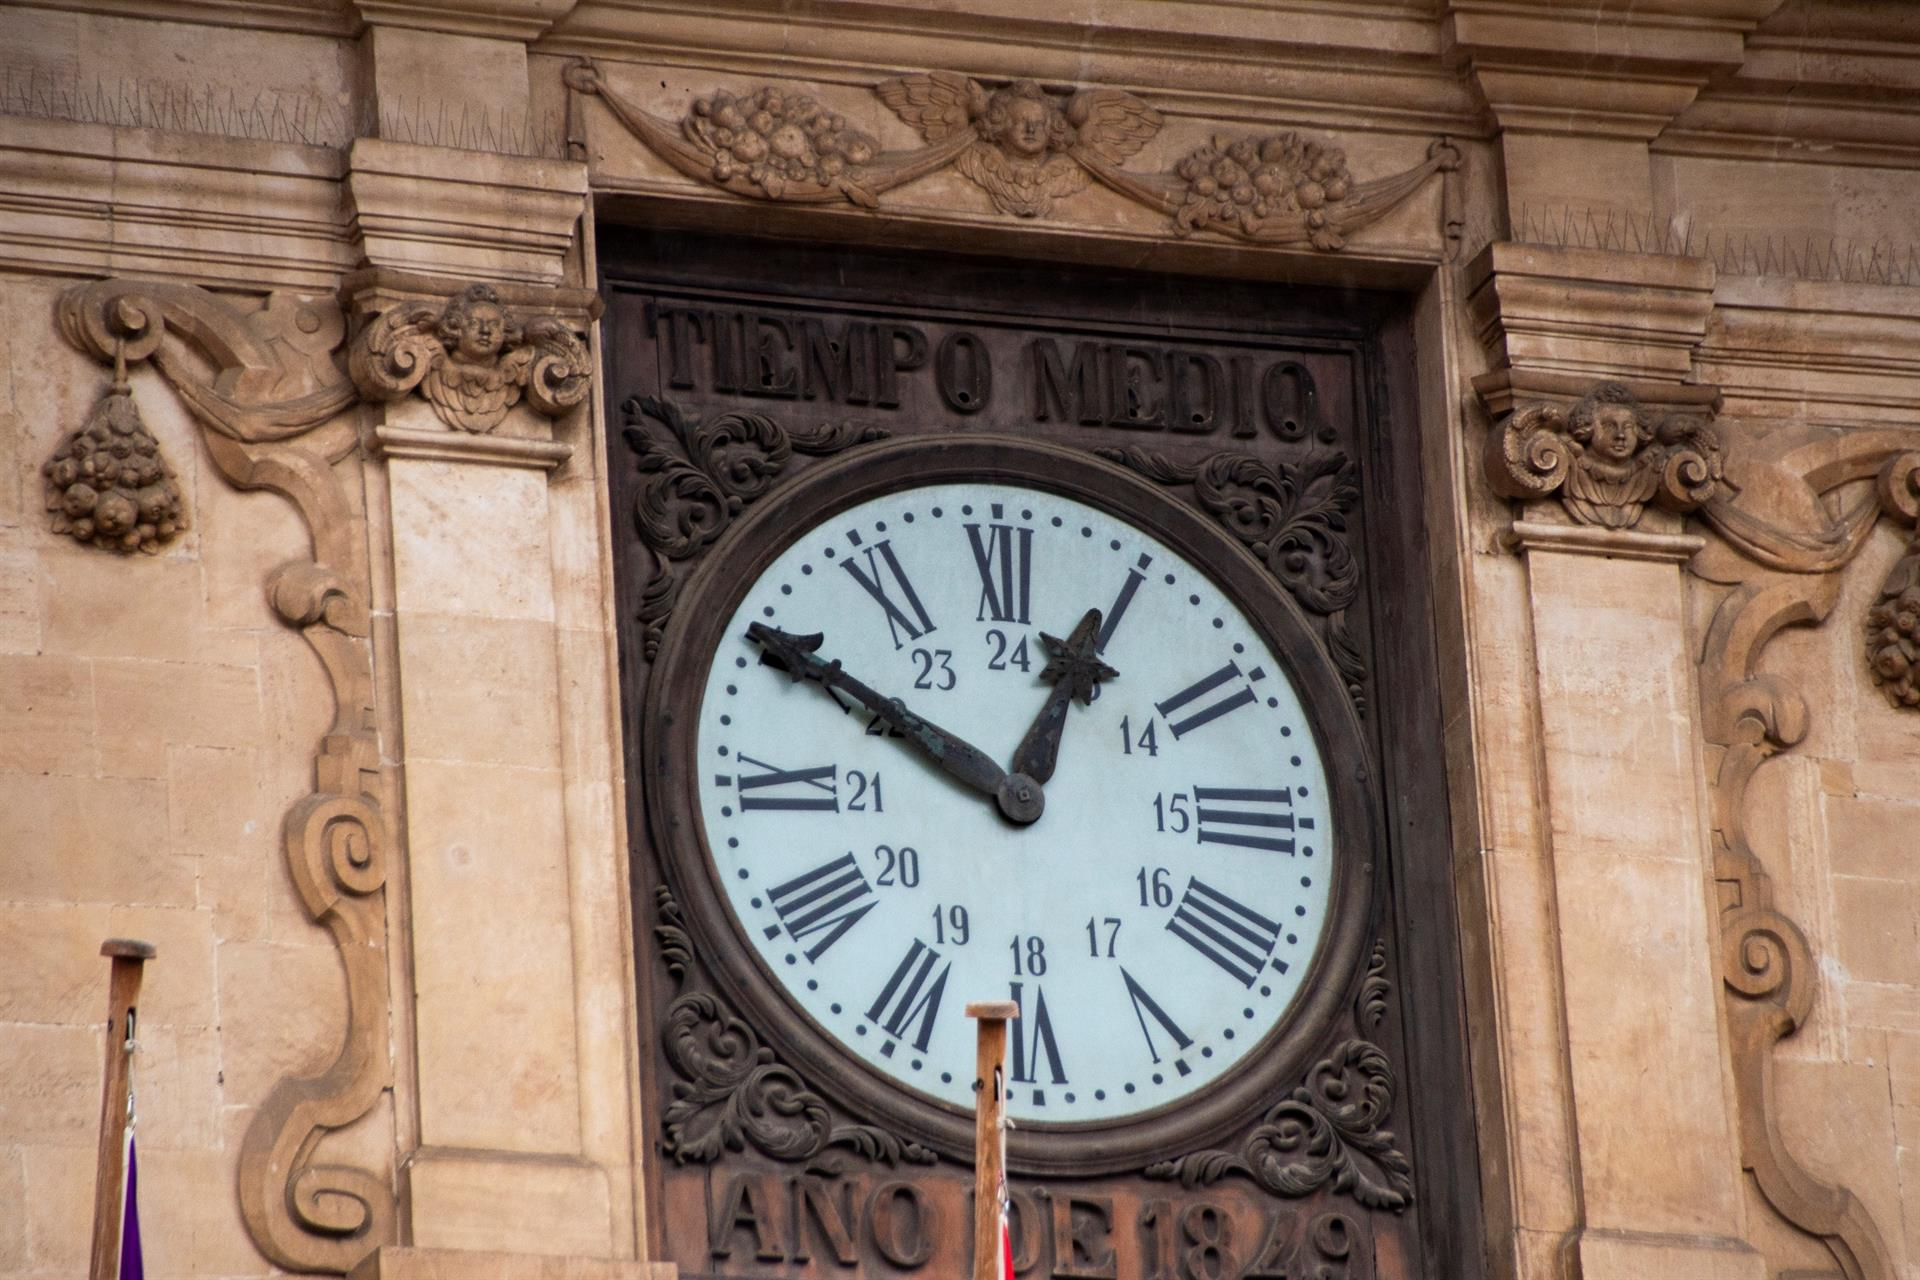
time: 12:50
